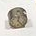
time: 12:23
